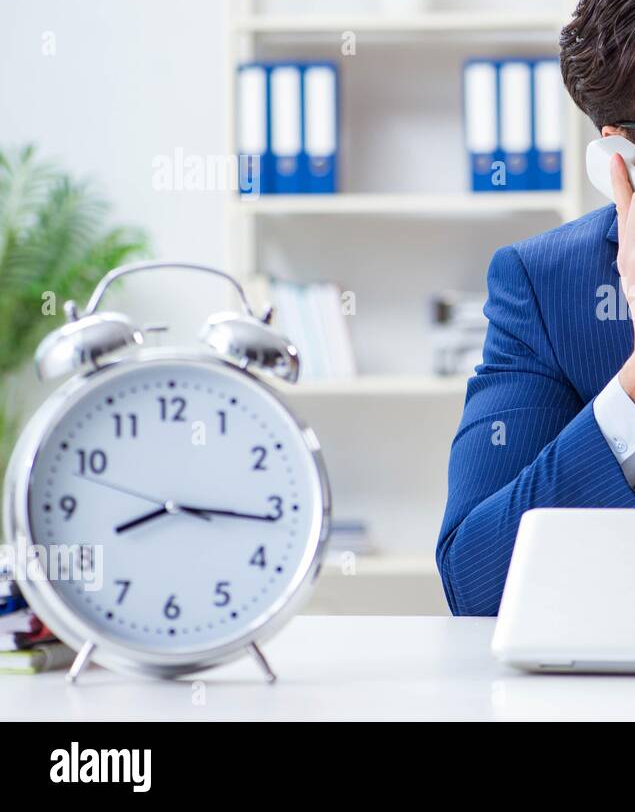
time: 8:16
